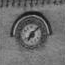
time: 7:08
